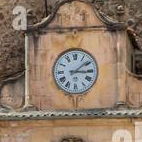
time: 3:08
